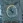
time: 11:21
